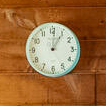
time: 1:01
